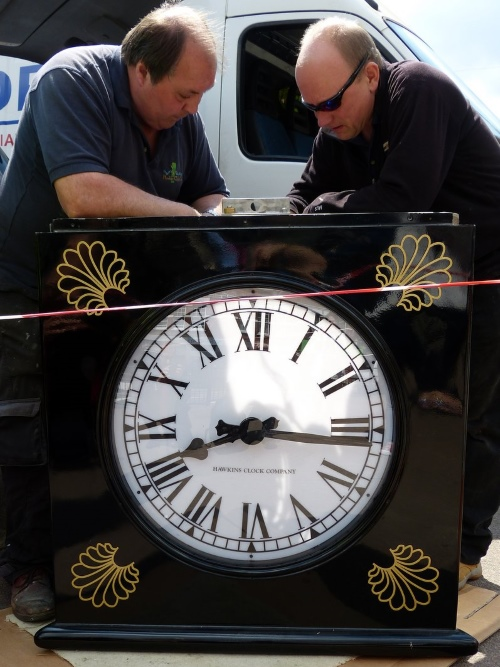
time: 8:15
